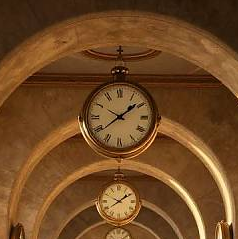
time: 1:38
